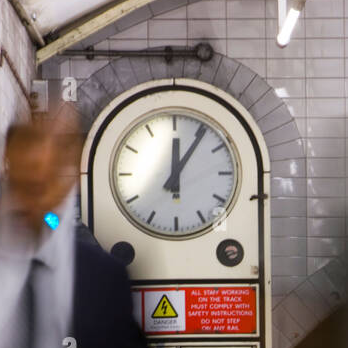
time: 12:05
